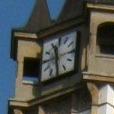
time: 11:29
